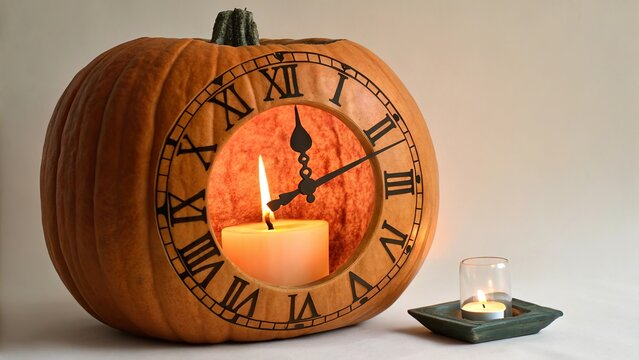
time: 12:11
